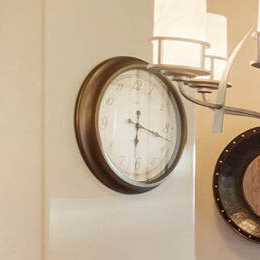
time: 6:17
